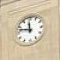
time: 11:47
